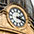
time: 2:18
